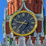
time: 3:36
